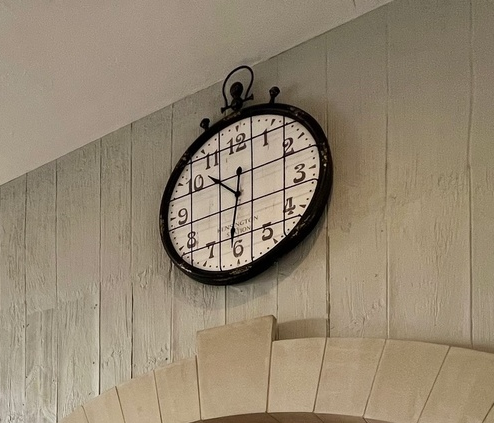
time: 10:31
